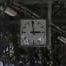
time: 2:59
